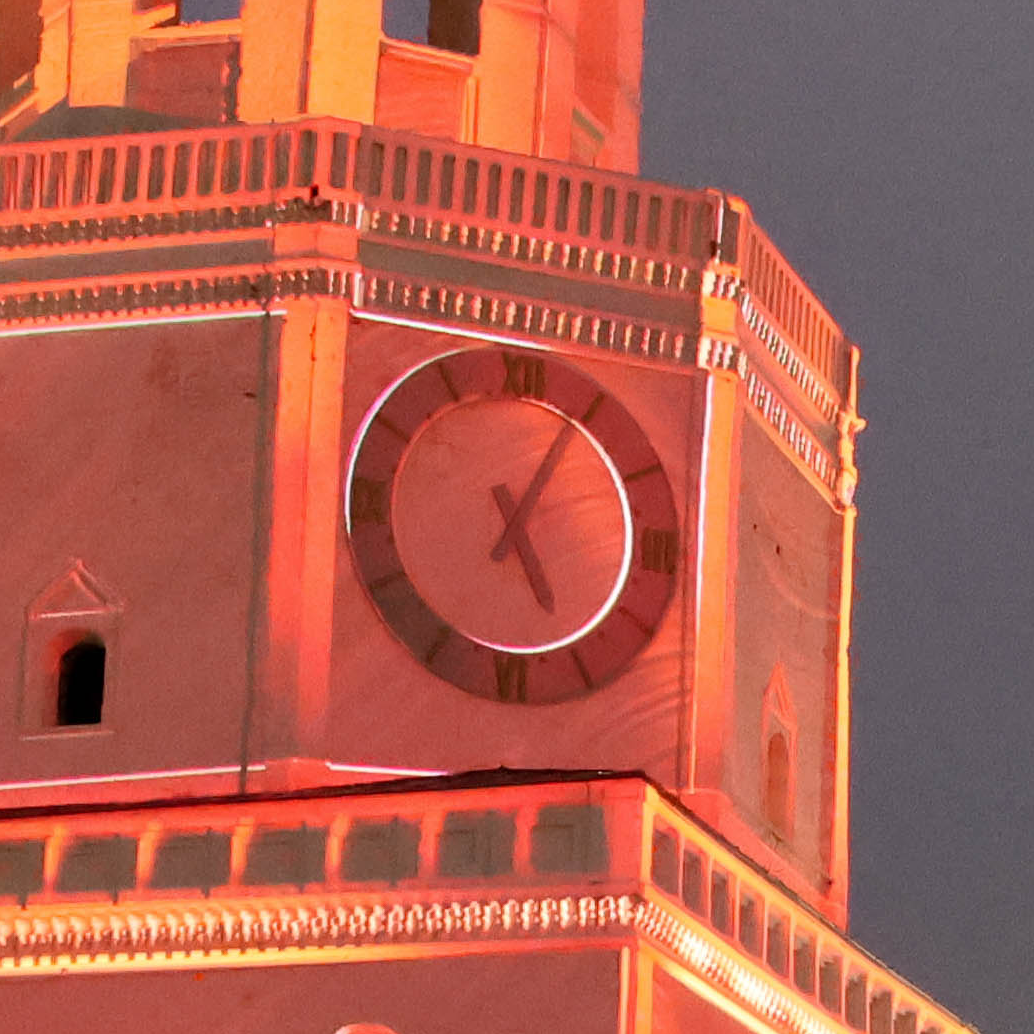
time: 5:04
